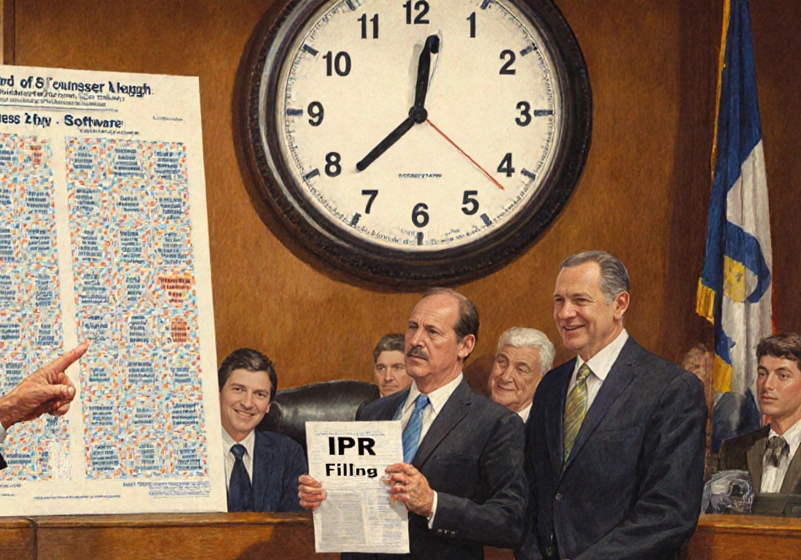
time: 12:37
